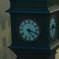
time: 5:18
